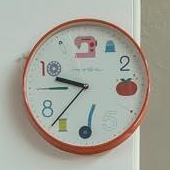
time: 9:36
